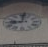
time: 9:01
